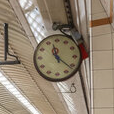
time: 11:21
